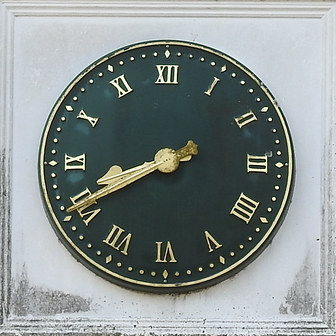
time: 8:40
